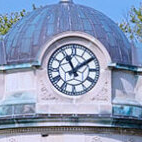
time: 11:09
